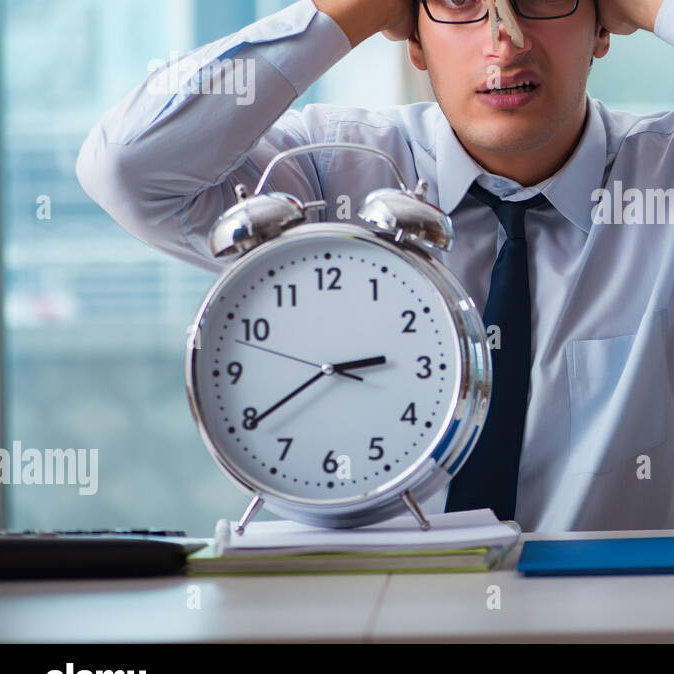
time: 2:39
